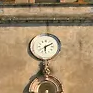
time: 6:10
